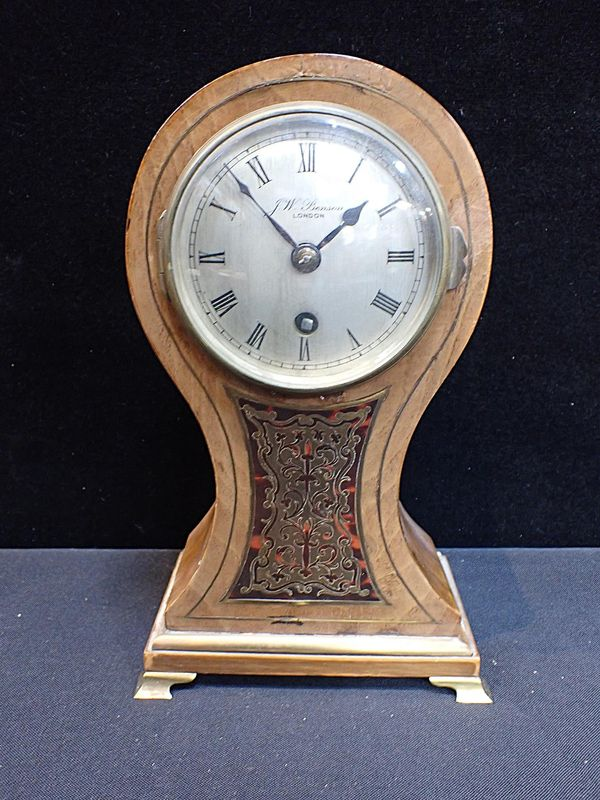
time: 1:52
